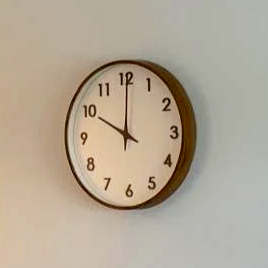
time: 10:00
